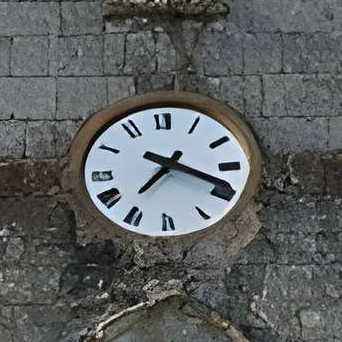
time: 7:18
